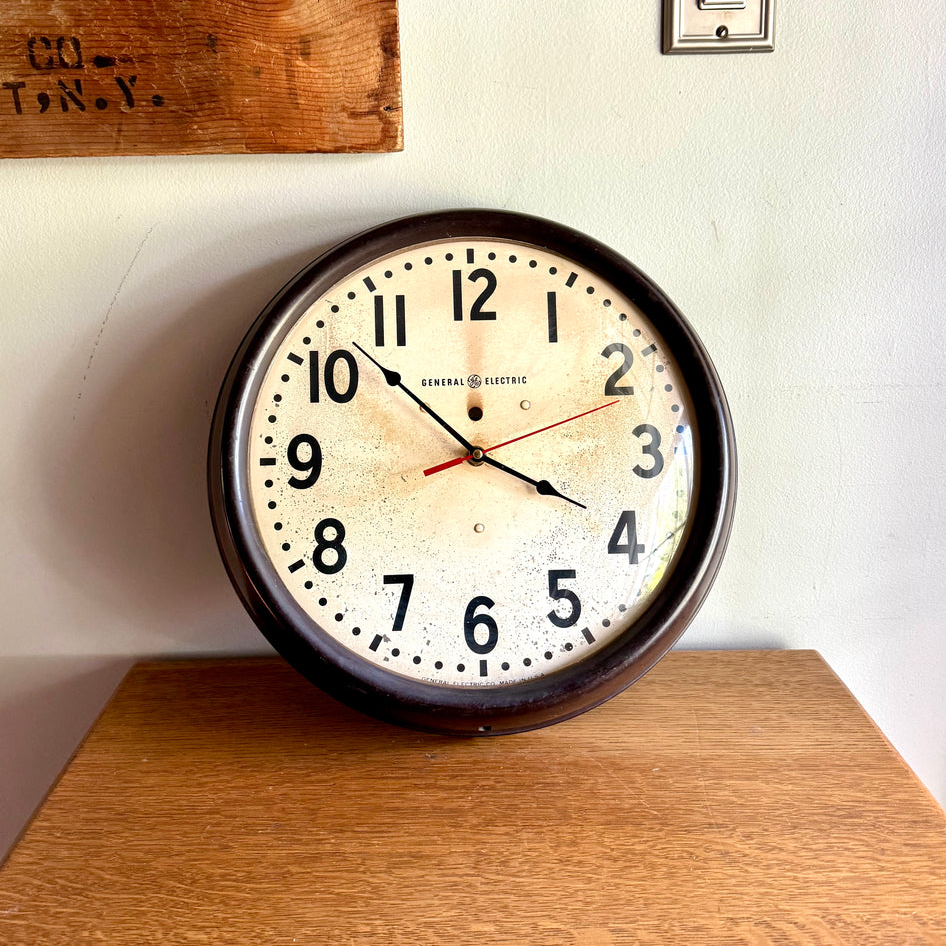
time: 3:52
